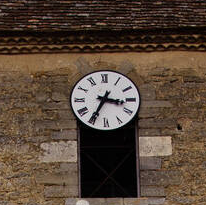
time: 3:34
